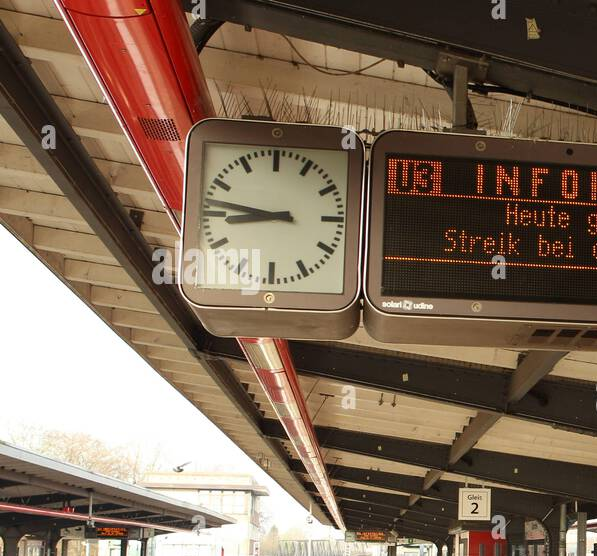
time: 8:46
